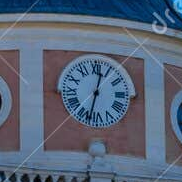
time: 12:32
